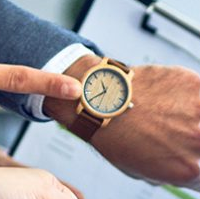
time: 11:40
